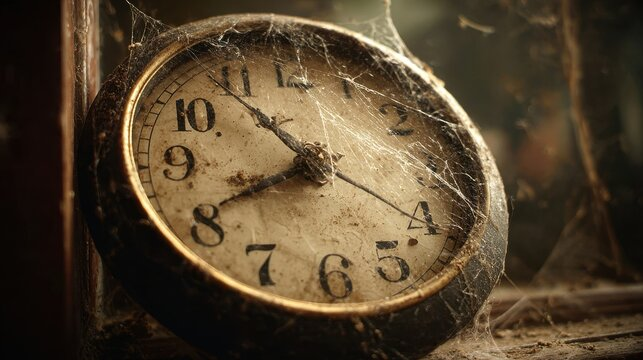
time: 10:41
